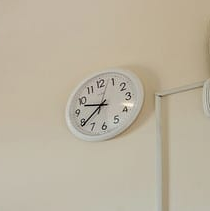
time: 9:39
